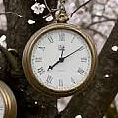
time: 12:09
